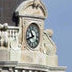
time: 10:41
